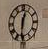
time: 12:30
